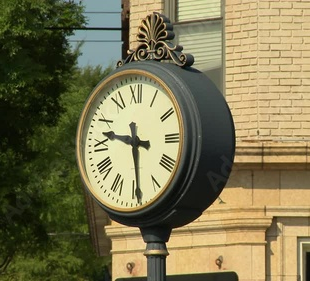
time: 9:29
